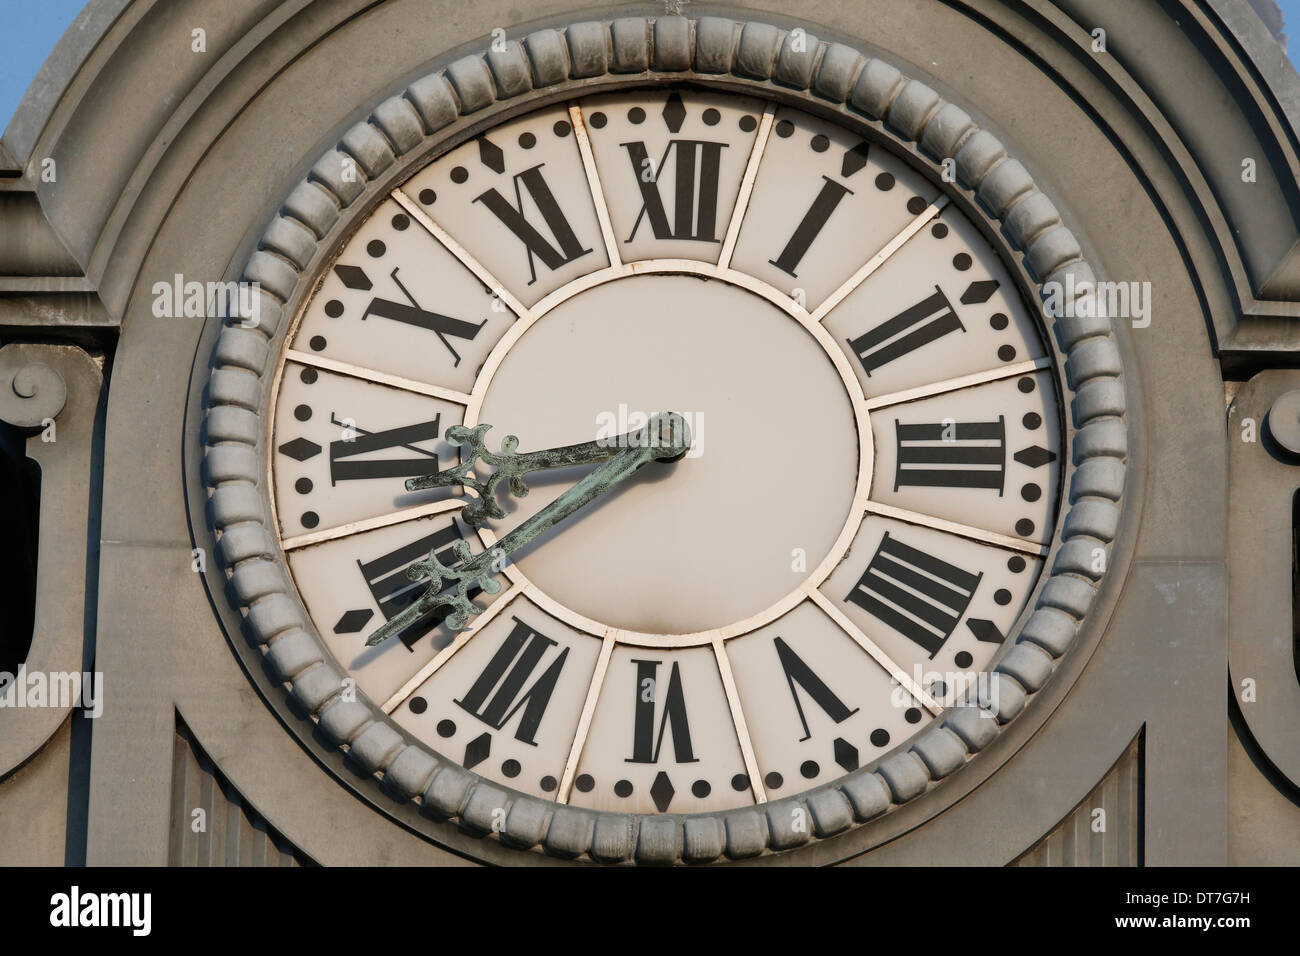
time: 8:40
